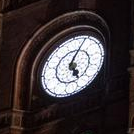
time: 5:04
